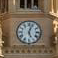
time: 5:03
